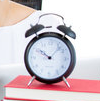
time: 10:07
